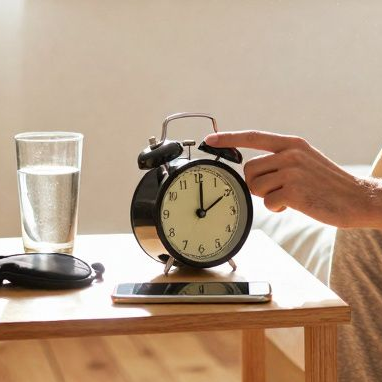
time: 2:00
